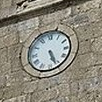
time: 5:26
